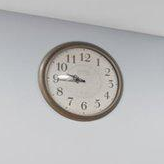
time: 9:45
